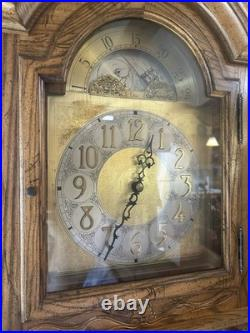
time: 12:34
